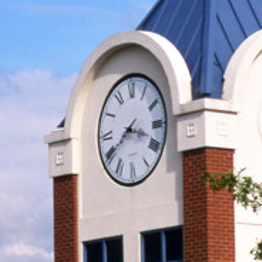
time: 3:40
